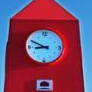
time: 8:49
